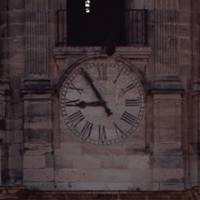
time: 8:54
